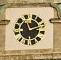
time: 11:11
